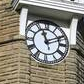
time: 11:10
